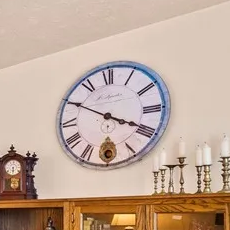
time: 3:49
